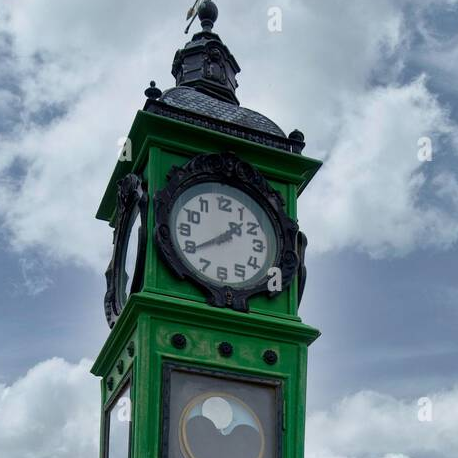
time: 1:39
